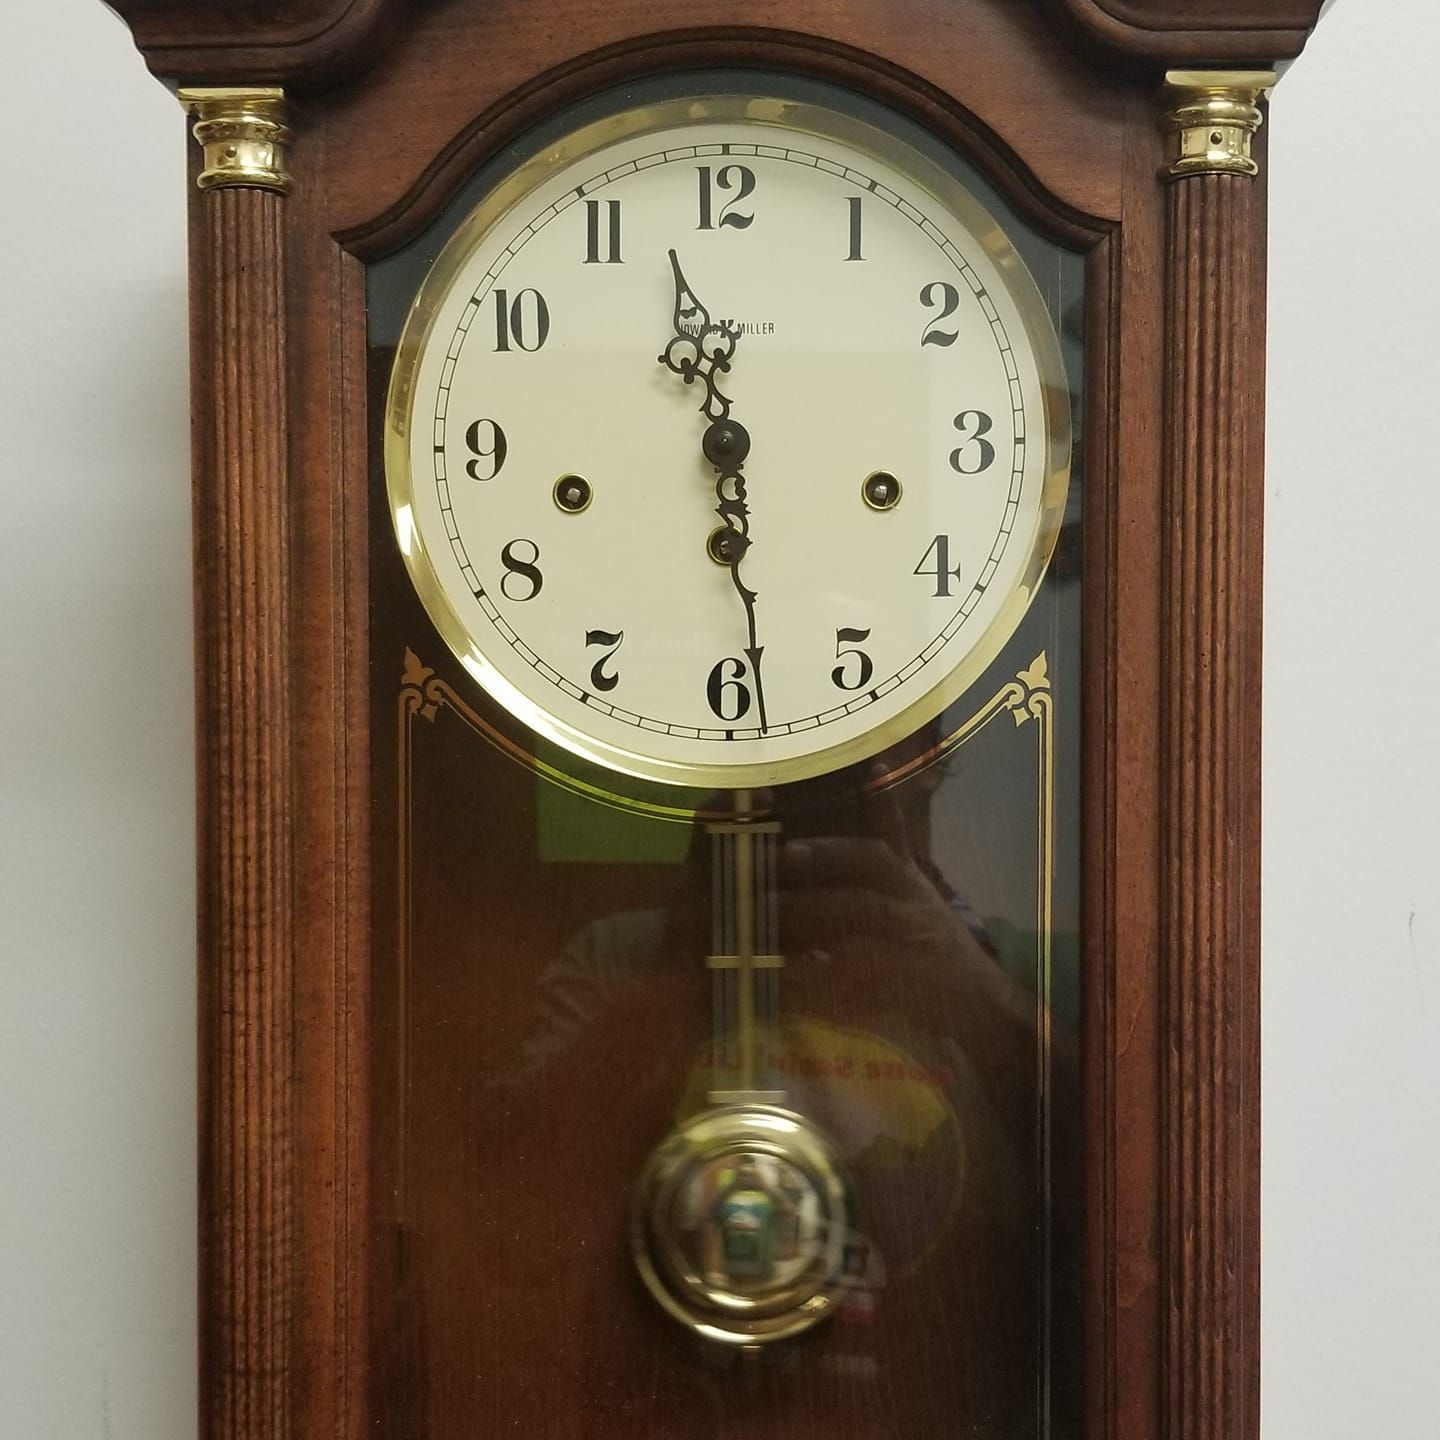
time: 11:28
